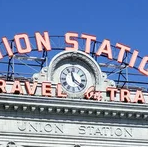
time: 11:21
